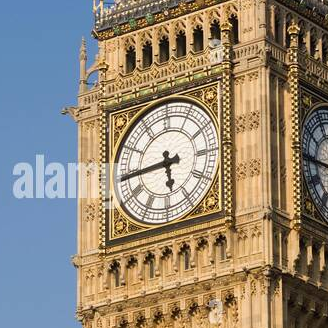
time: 5:44
